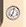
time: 7:02
